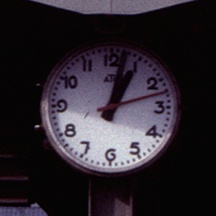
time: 1:02
